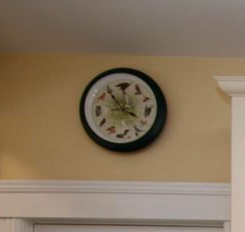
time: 3:53
